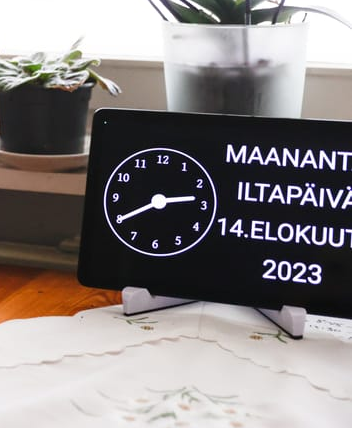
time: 2:40
